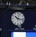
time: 10:17
